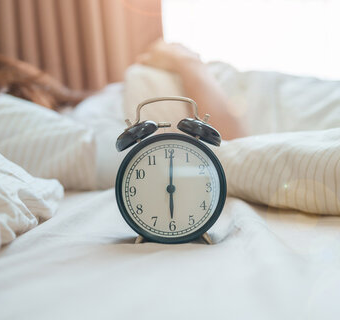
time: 6:00
